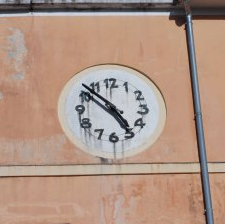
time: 4:51
